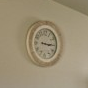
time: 3:15
